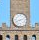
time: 8:12
